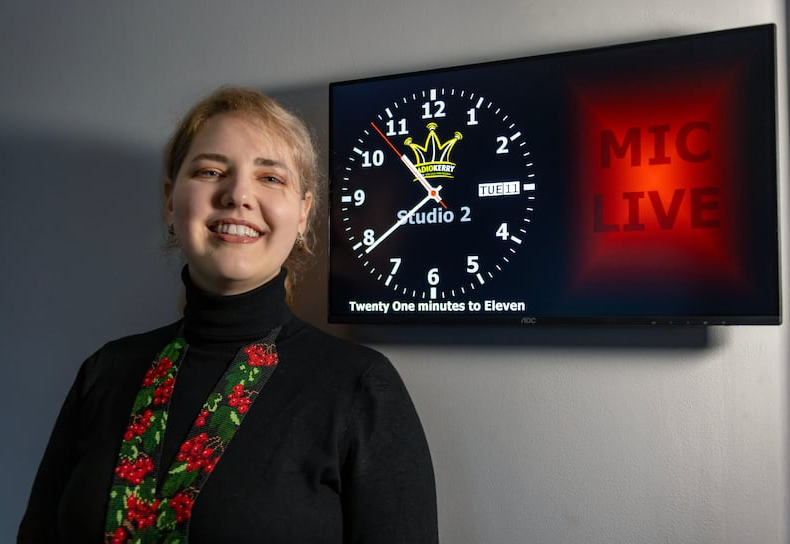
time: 10:38
